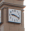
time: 9:18
